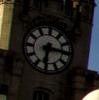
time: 6:15
